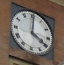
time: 4:00
